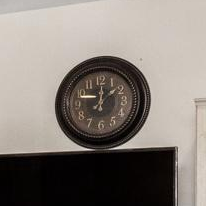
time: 12:08
